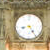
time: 8:24
